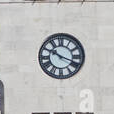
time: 10:18
